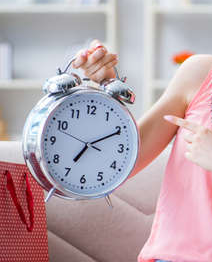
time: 7:10
